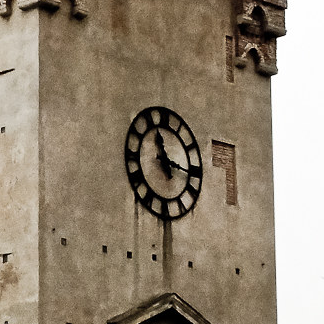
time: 11:17
